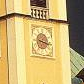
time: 3:16
